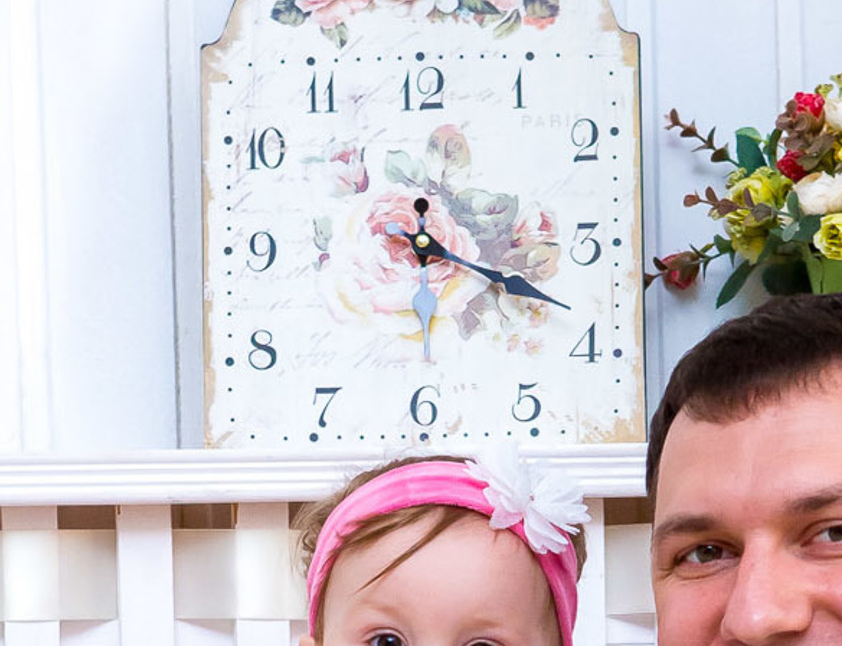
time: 12:18
